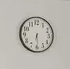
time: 6:29
